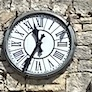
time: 11:35
